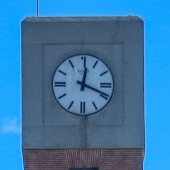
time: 12:18
